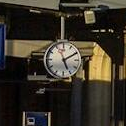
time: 5:10
